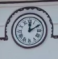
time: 12:10
